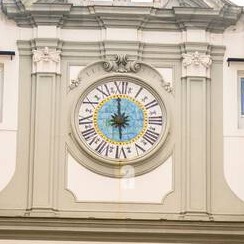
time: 5:59
